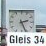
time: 2:26
